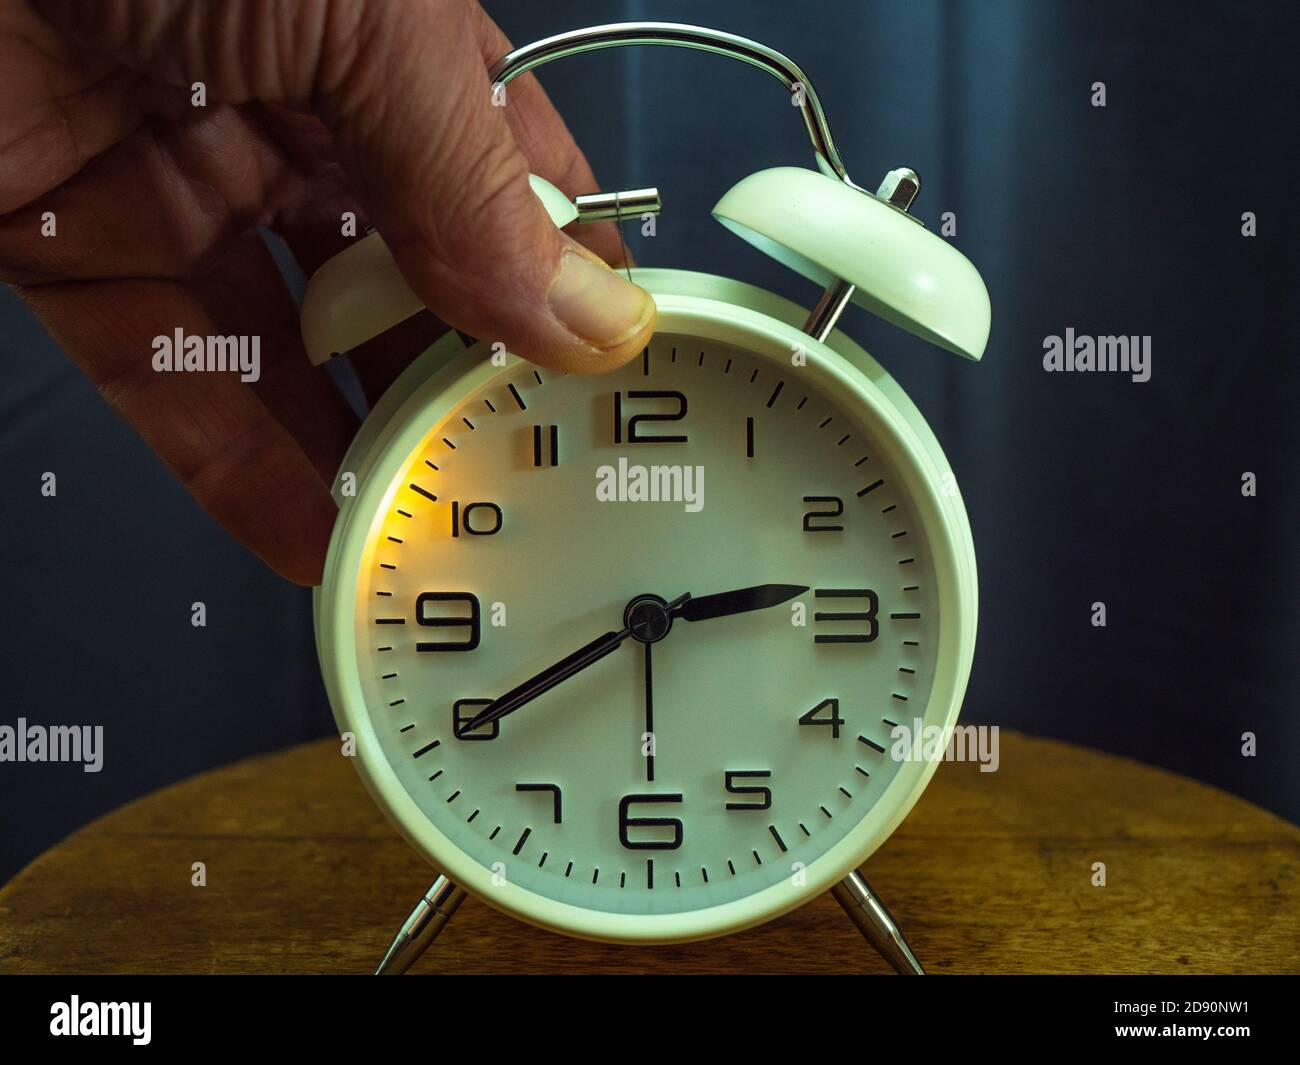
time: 2:40
